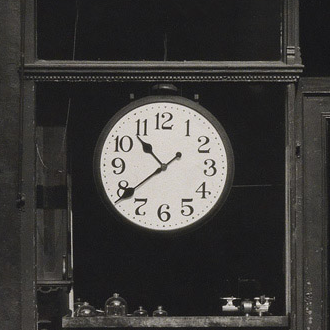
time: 10:38
